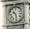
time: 10:28
